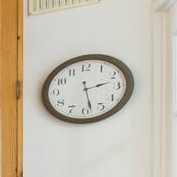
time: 2:28
